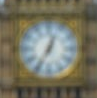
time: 12:35
